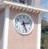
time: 2:26
